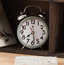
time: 7:28
